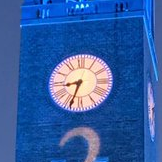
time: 8:33
